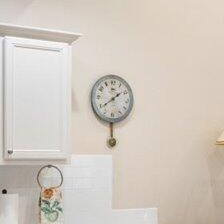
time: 1:39
